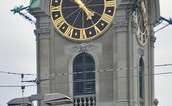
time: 4:23
